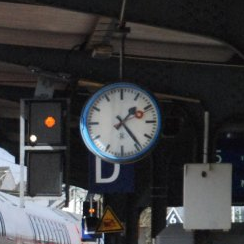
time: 1:23
